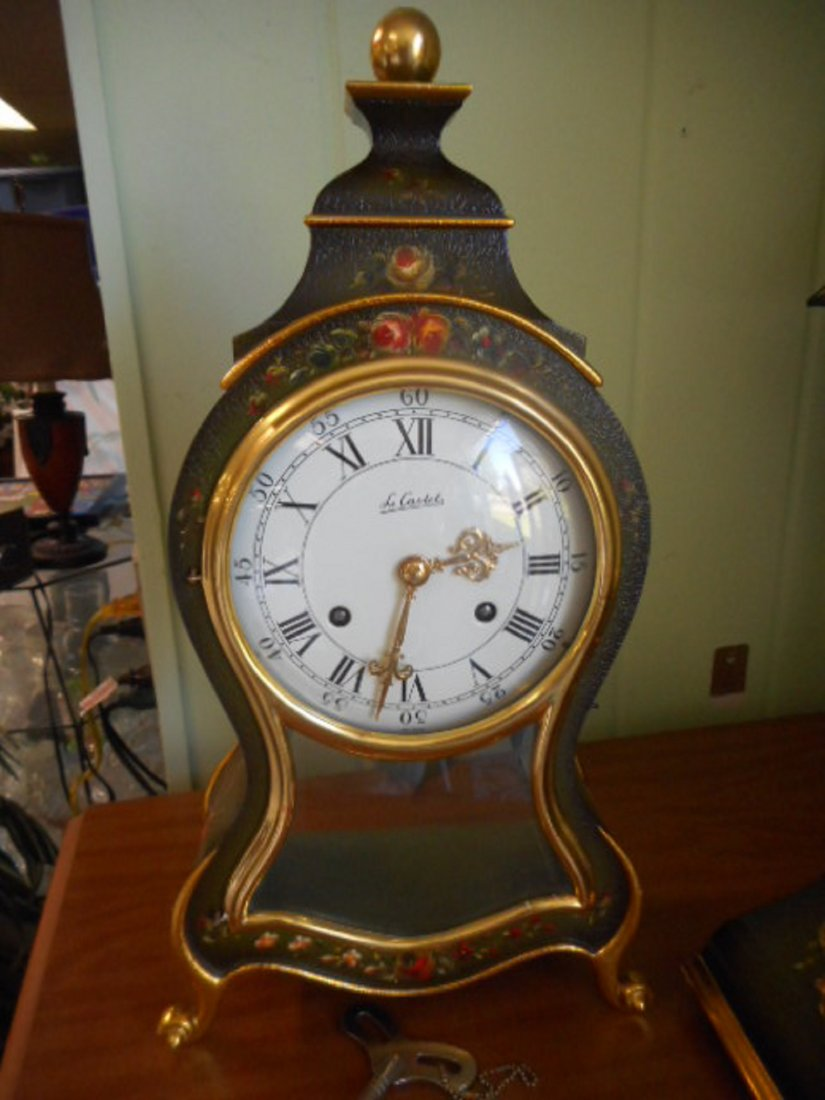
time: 2:32
